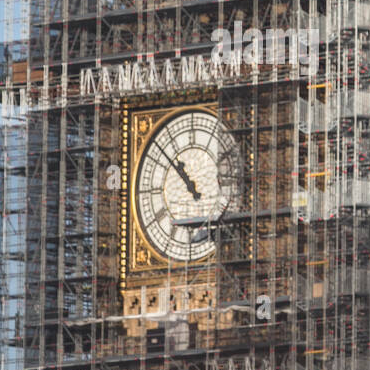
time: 10:52
